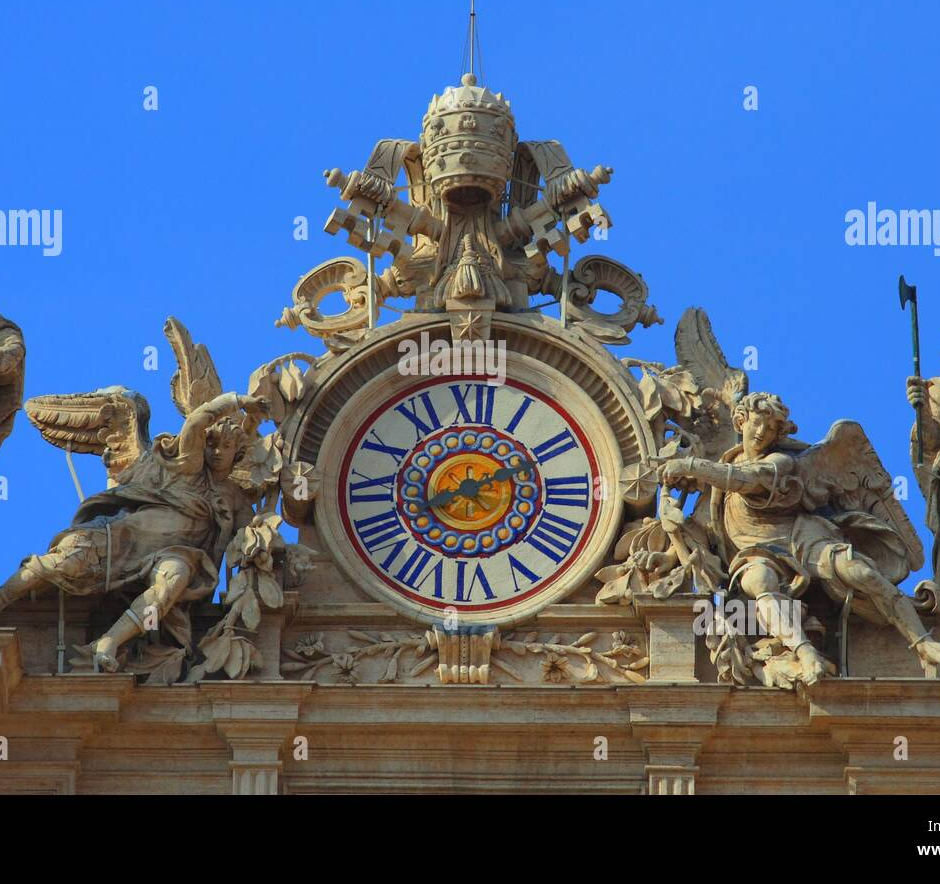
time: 8:11
